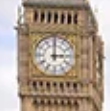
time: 3:00
